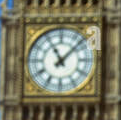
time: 11:07
